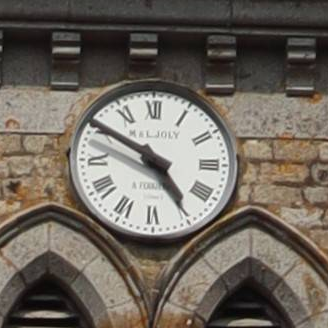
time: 4:50
